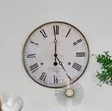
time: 4:59
